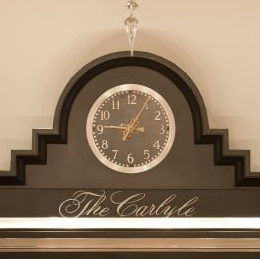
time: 9:04
